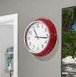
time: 11:16
